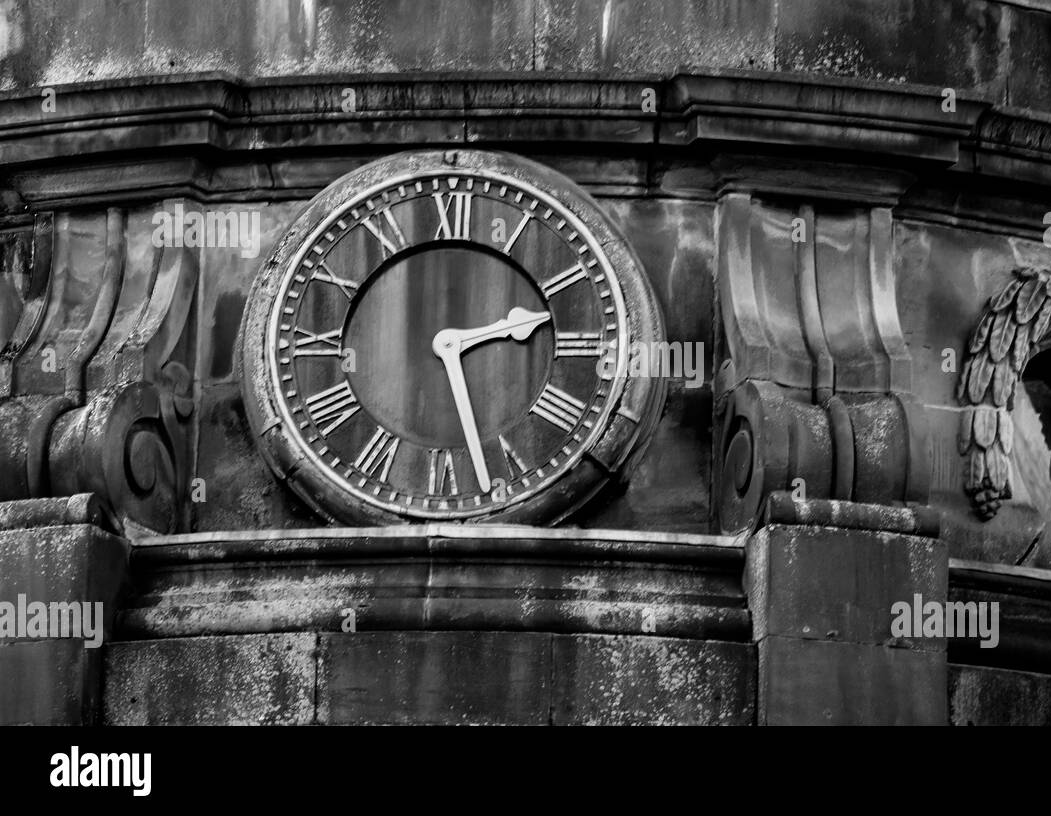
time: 2:27
